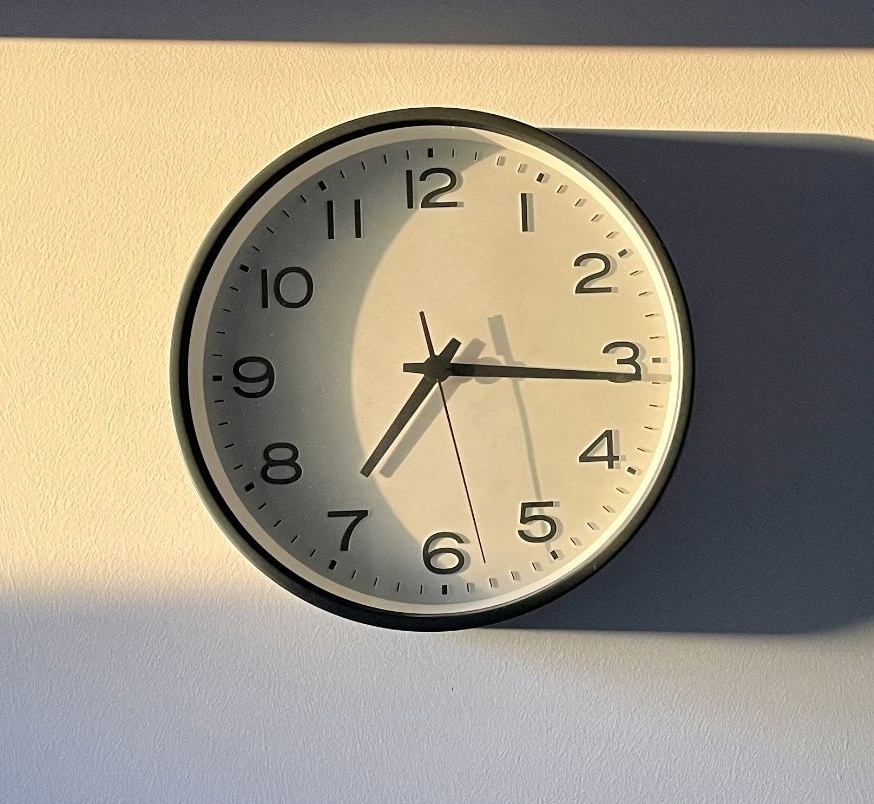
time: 7:15
